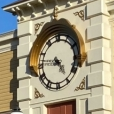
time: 4:45
